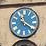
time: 11:20
